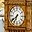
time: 6:38
